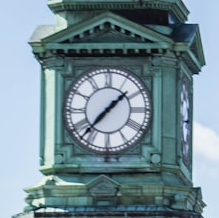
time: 1:37
